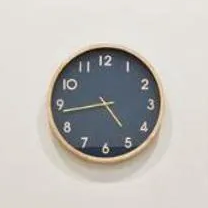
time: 4:43
